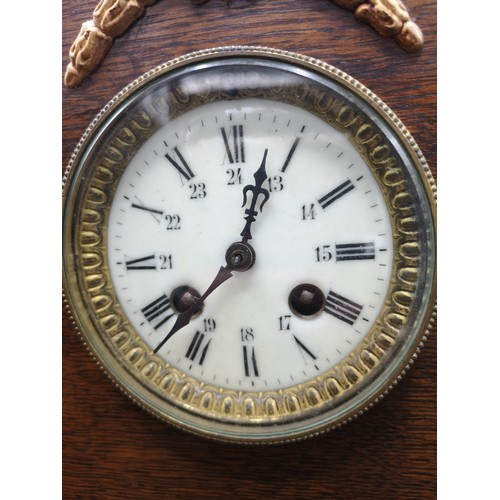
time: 12:37
